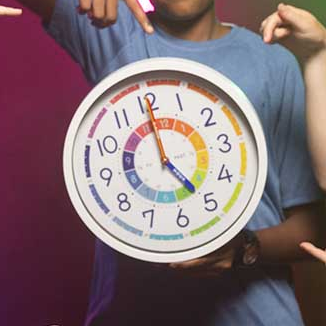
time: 5:00
